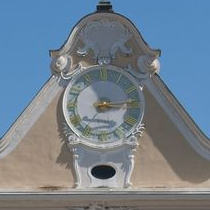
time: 3:13
